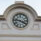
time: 3:46
